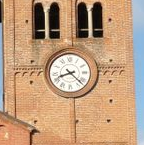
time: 8:22
